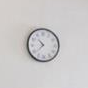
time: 10:38
